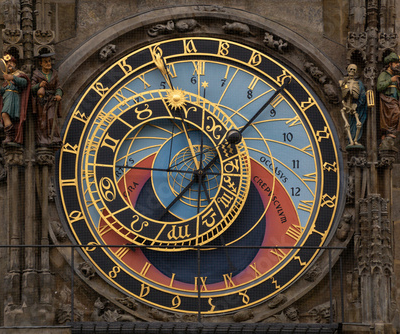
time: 7:07
